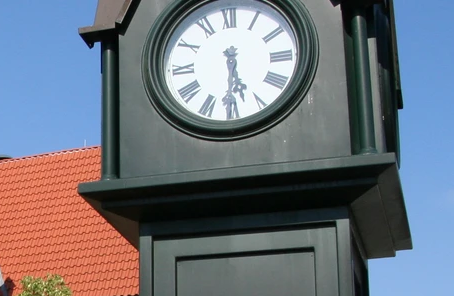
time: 5:30
